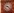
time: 9:22
